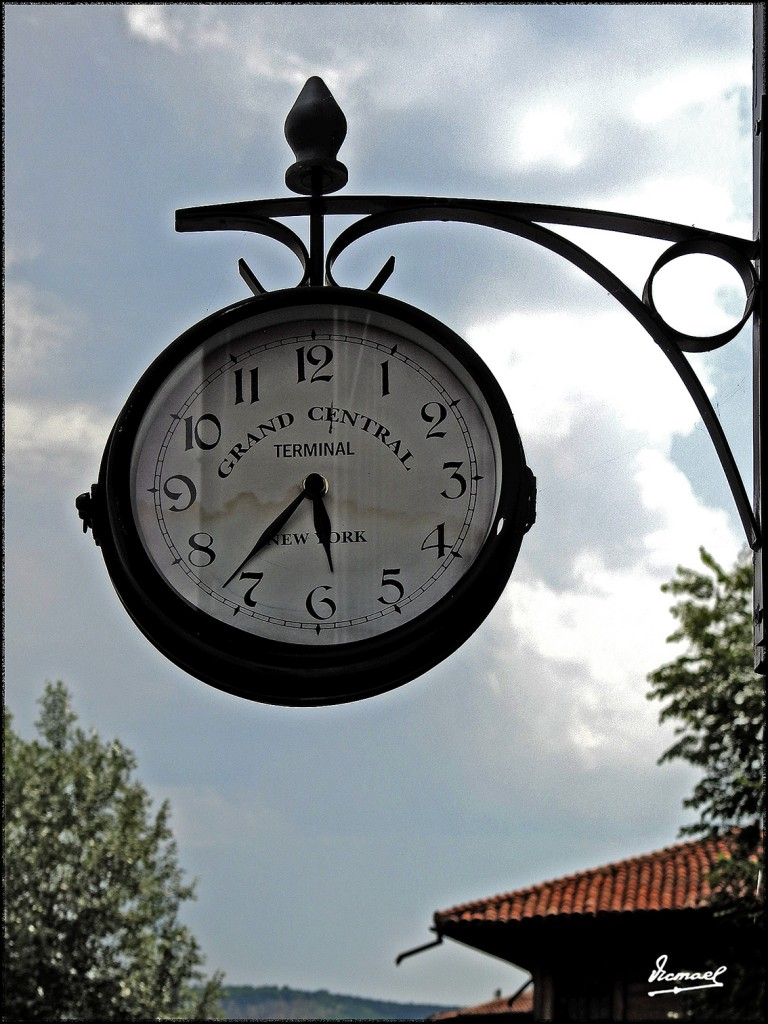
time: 5:36
